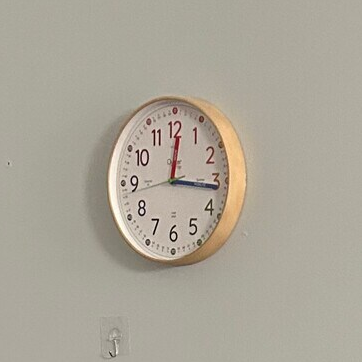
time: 12:16
